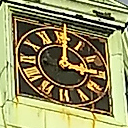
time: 3:00
